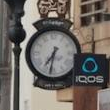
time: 7:32
